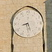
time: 8:27
